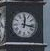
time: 12:16
